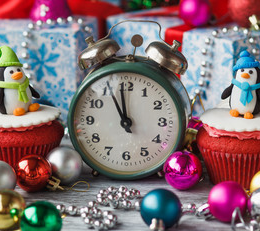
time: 10:59
